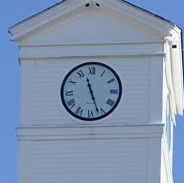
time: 11:26
